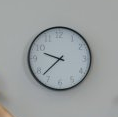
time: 9:37
